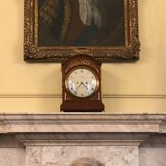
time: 4:36
